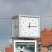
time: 12:14
